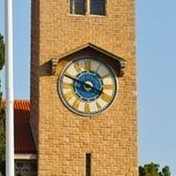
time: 3:48
